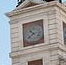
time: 10:39
